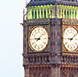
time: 9:08
